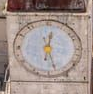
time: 12:27
